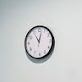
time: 11:02
